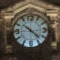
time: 10:22
